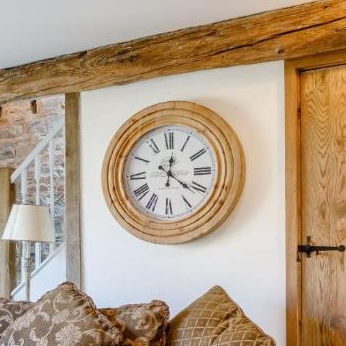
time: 12:21
